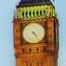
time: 4:23
